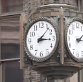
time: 3:07
